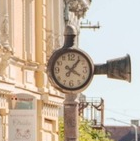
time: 4:06
